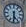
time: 5:31
